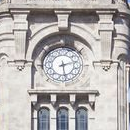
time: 2:28
